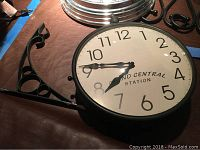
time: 7:46
